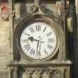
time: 9:31
